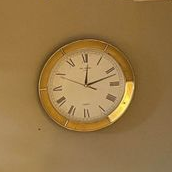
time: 12:11
